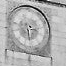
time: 3:29
